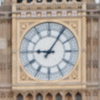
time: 9:05
